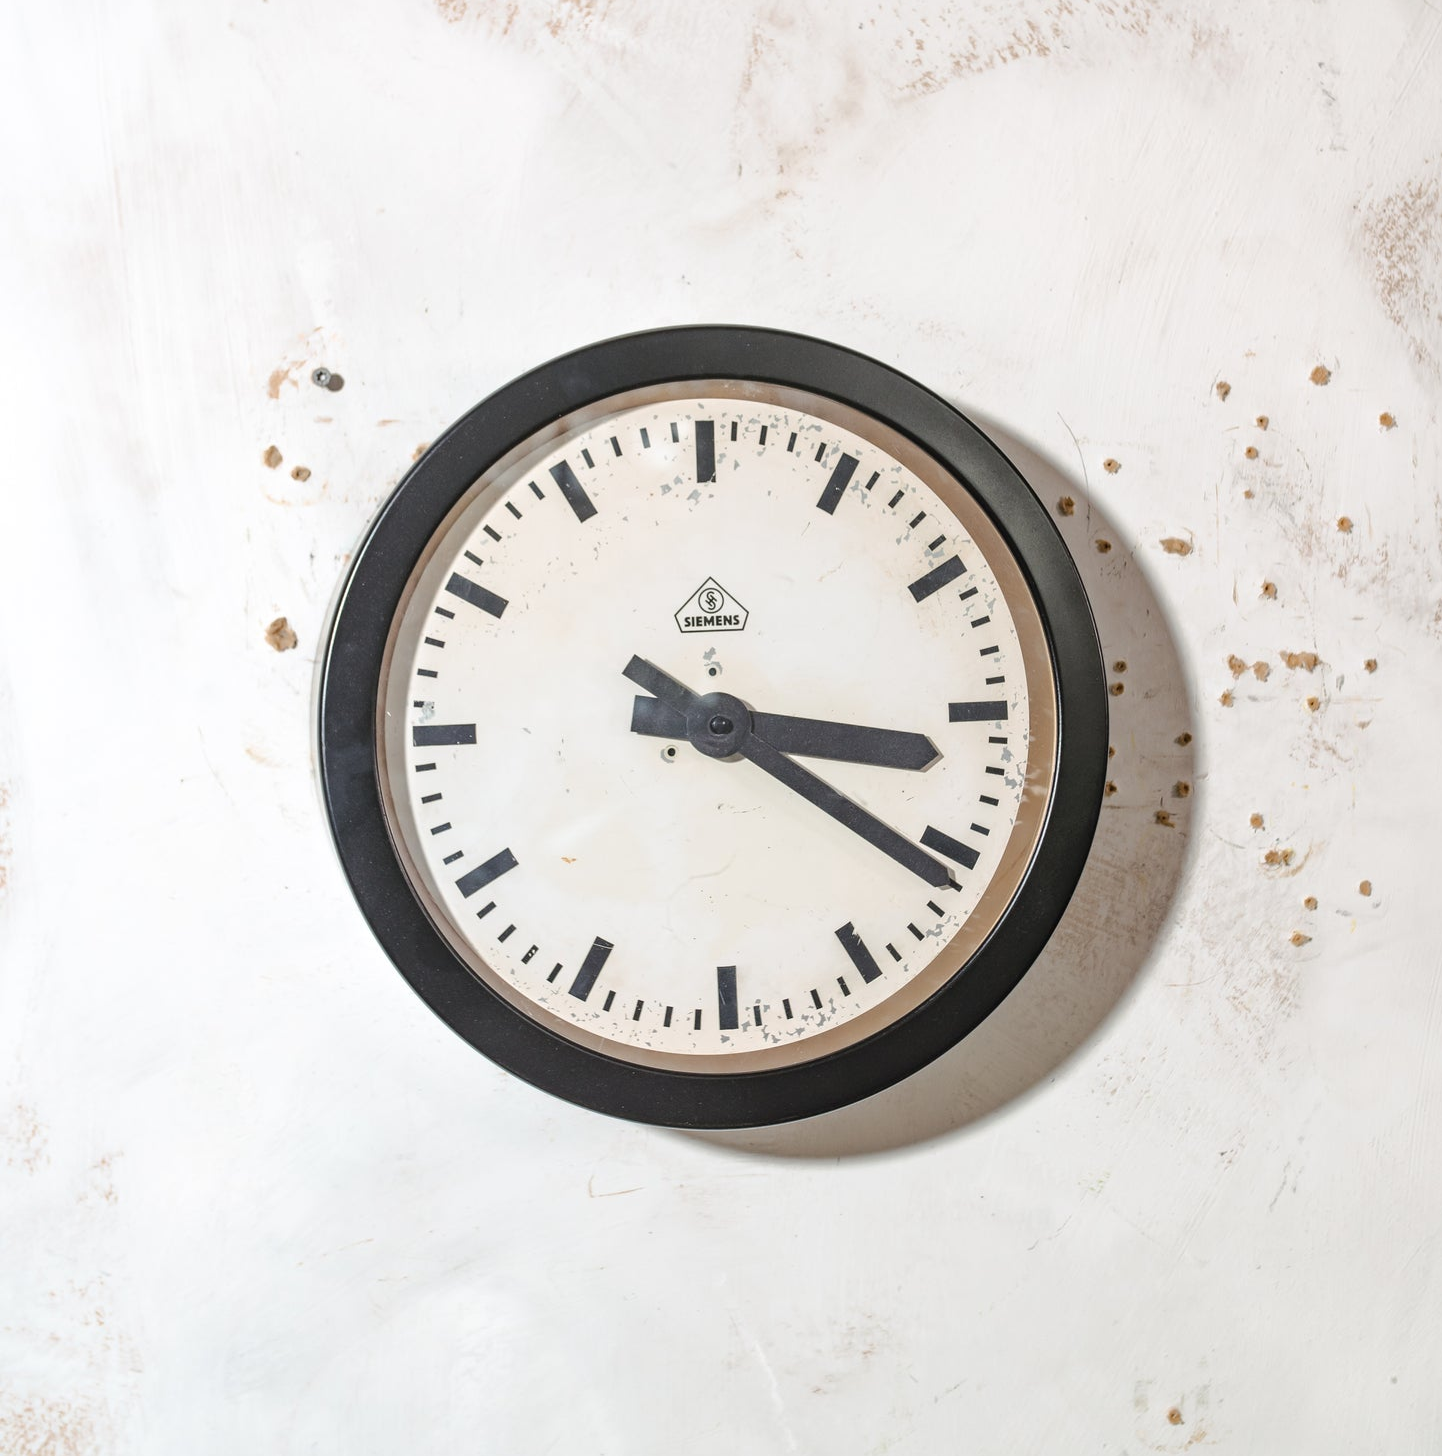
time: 3:21
